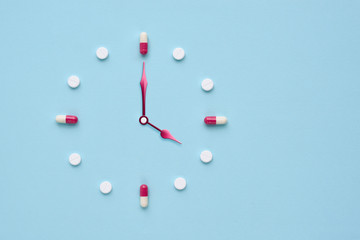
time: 4:00
